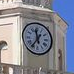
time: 11:36
